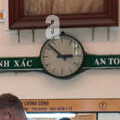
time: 2:52
